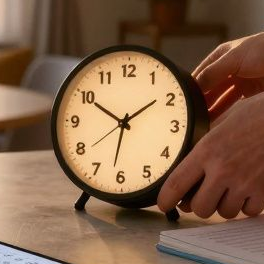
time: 1:50
